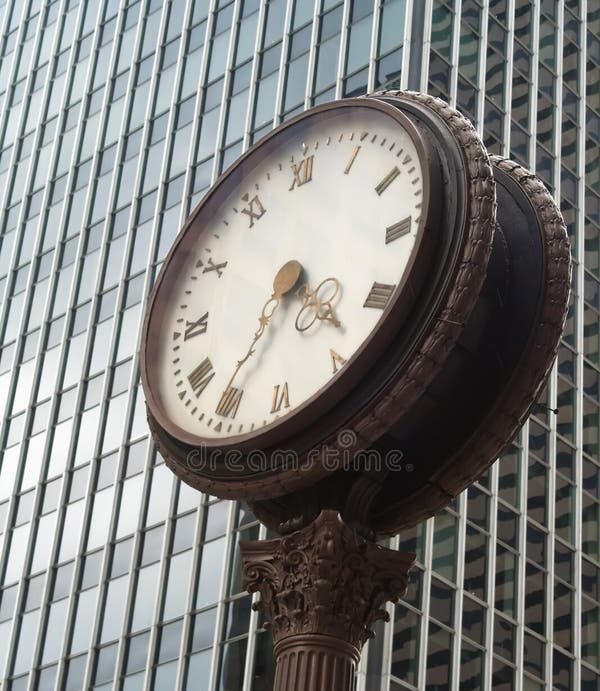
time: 4:35
